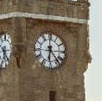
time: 6:23
